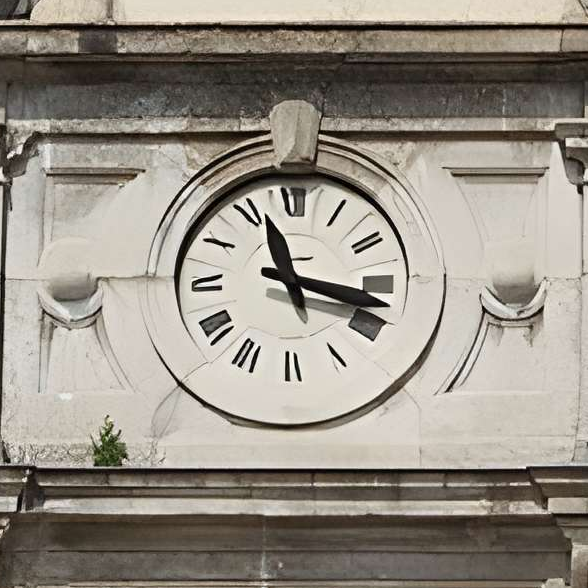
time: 11:17
